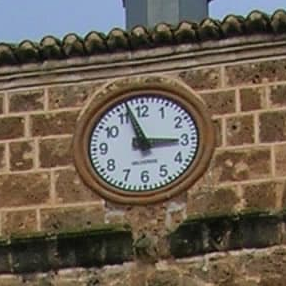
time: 2:56
